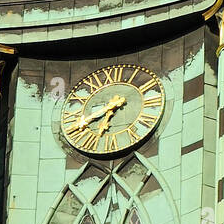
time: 6:40
